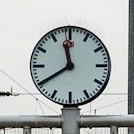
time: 11:39
